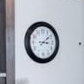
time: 3:09
